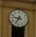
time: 9:34
